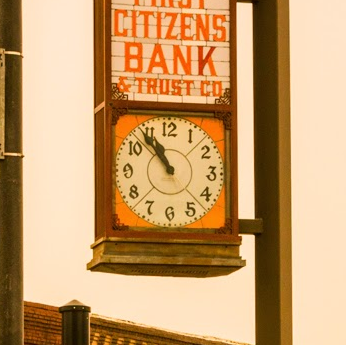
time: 10:53
